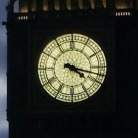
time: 4:17
